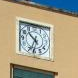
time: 10:33
